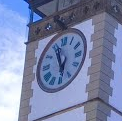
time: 5:56
